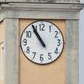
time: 10:55
